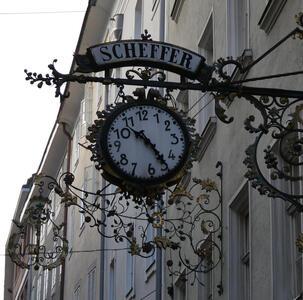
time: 10:24
